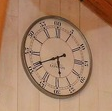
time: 5:40
